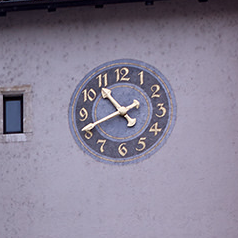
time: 10:41
